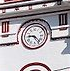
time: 9:23
